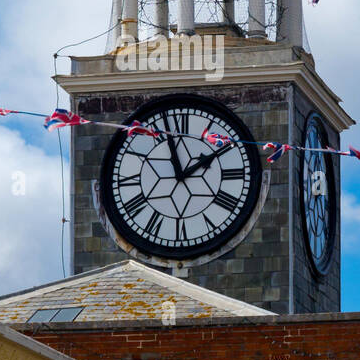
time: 1:57
